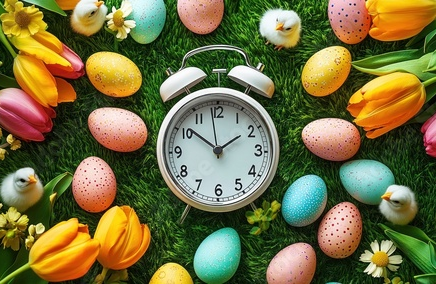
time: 1:51
